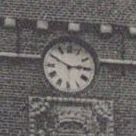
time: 2:49
